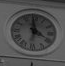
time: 3:58
